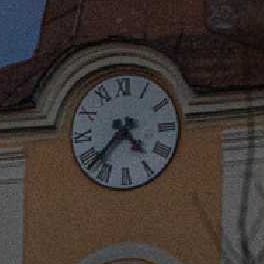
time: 4:37
